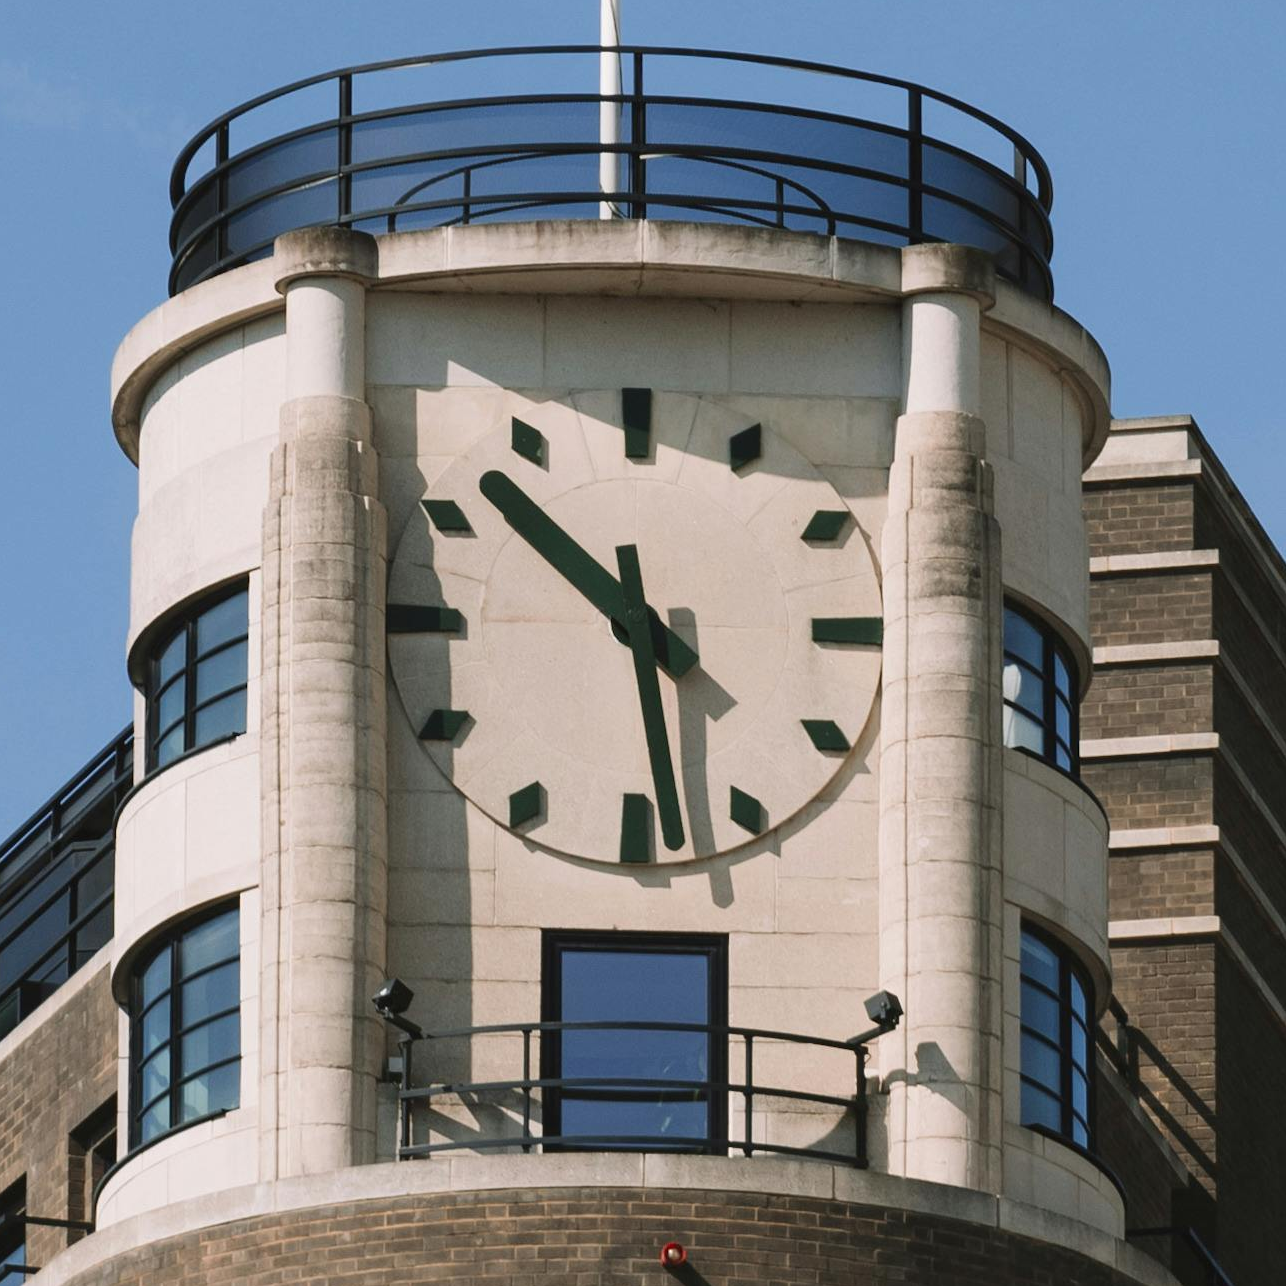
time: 10:28
